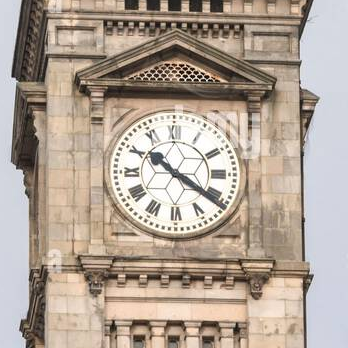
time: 10:20
